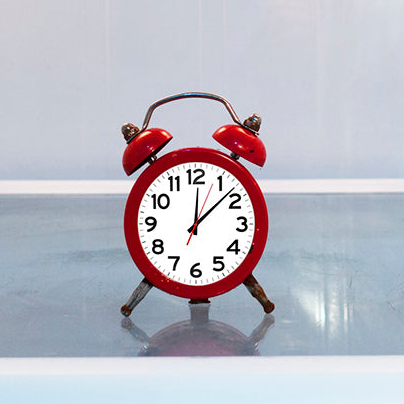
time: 12:07
